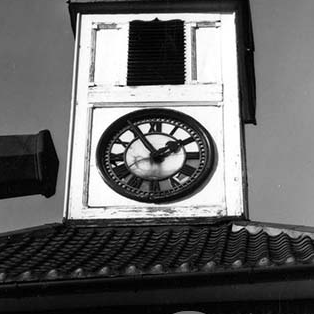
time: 1:54
